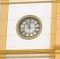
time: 11:55
